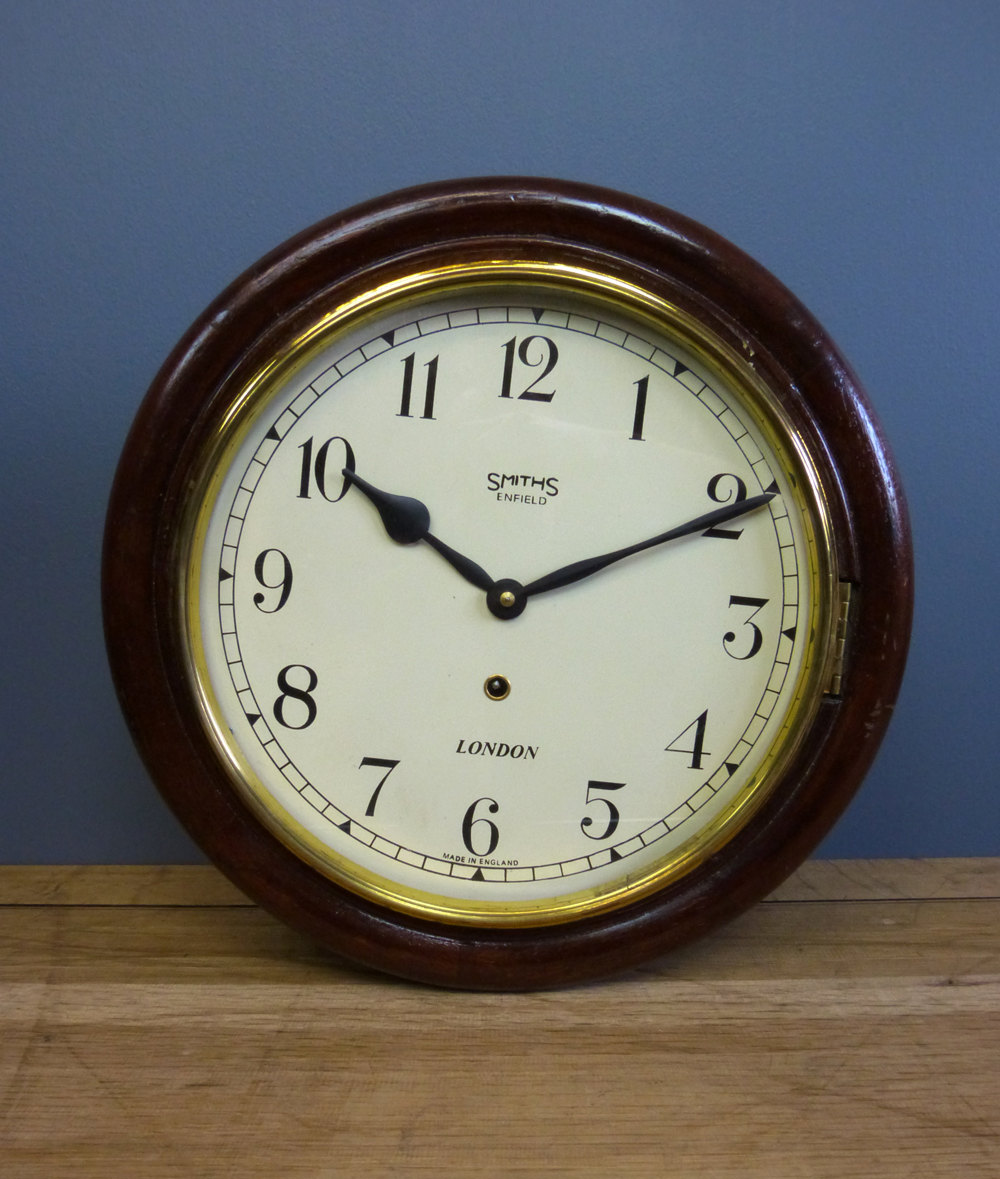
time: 10:10
